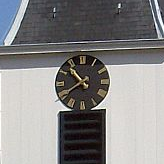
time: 10:39
